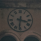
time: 3:31
